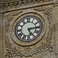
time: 5:14
